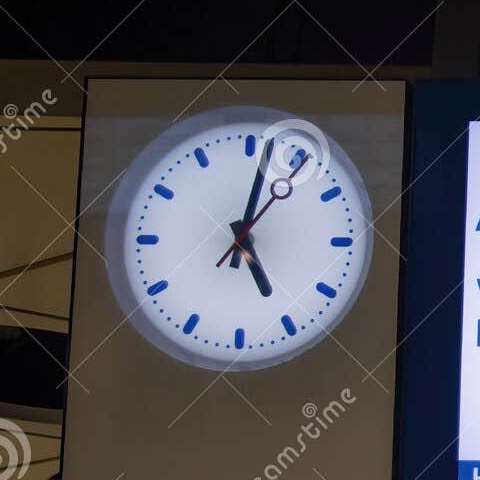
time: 5:01
